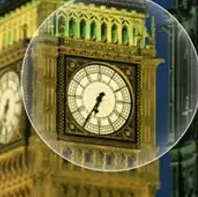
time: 6:35
